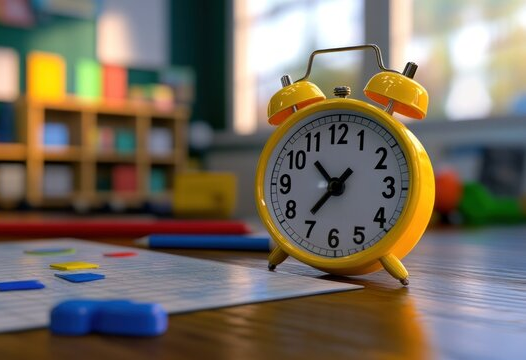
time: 10:36
